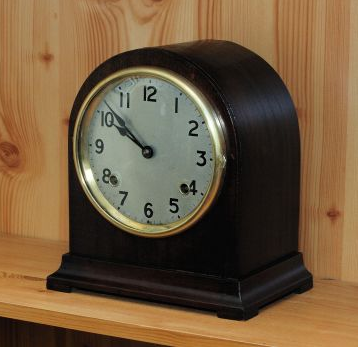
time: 9:51
